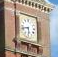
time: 5:42
